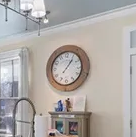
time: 1:06
